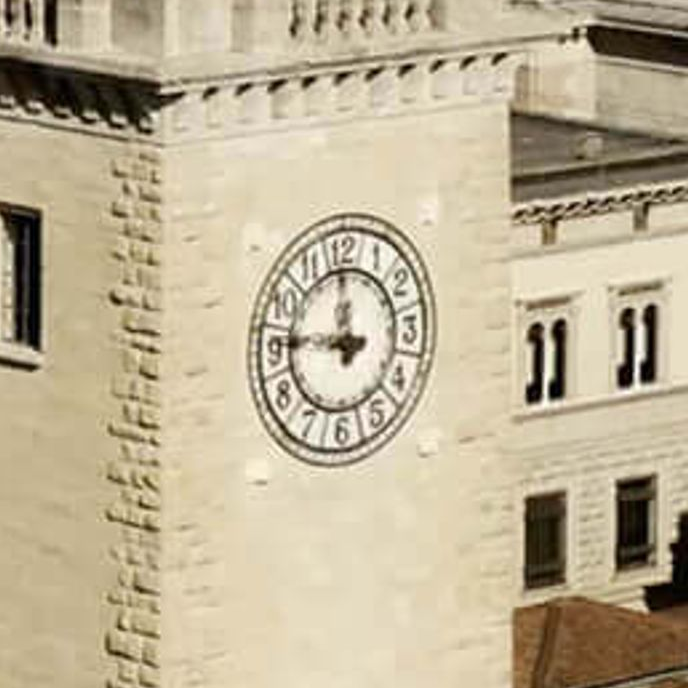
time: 11:46
